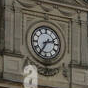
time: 2:35
